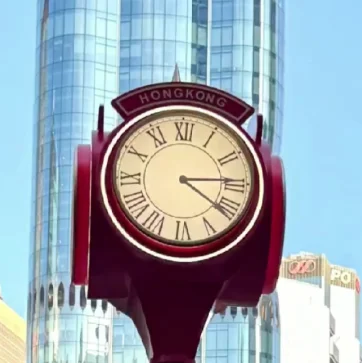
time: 4:14
